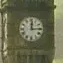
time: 12:14
